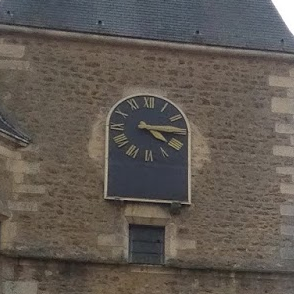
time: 4:14
